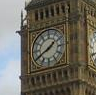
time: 1:40
